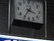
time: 3:35
